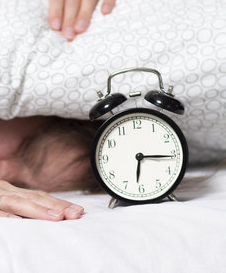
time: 6:15
